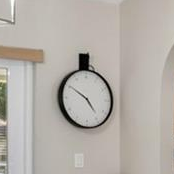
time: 4:50
